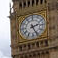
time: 2:25
